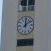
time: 12:08
